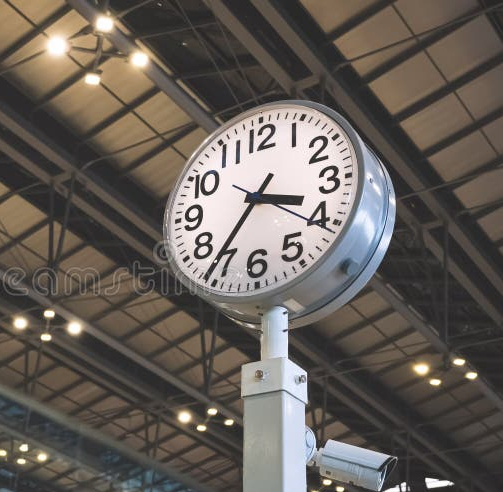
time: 3:36
